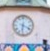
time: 6:18
